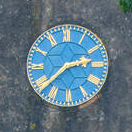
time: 2:38
